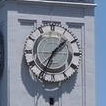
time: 1:34
